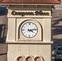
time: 4:13
